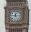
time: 11:46
